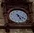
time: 5:18
